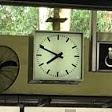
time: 7:49
